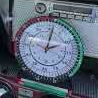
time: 2:01
